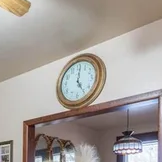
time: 5:00
